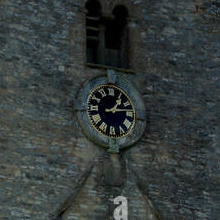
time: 1:13
